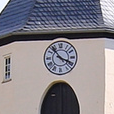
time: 3:53
